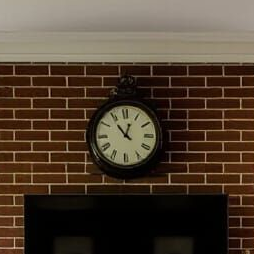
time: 12:53
